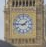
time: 1:46
